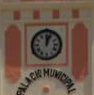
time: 12:03
